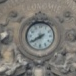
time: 7:39
